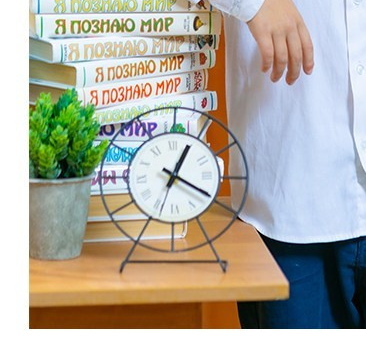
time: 1:20
